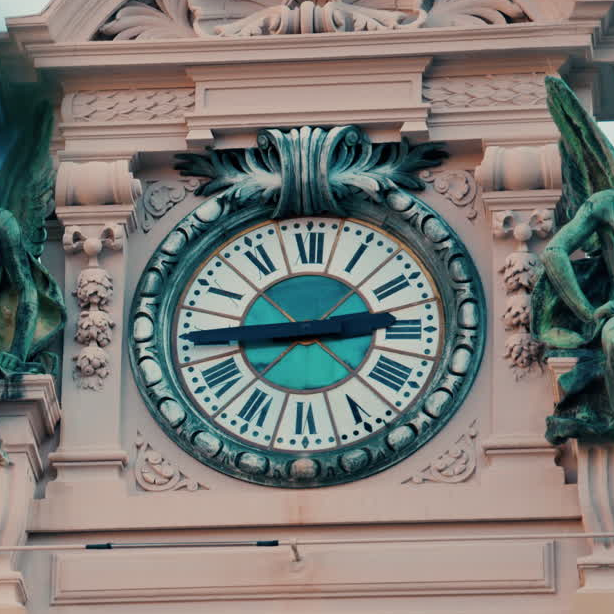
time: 2:44
